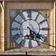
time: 5:21
